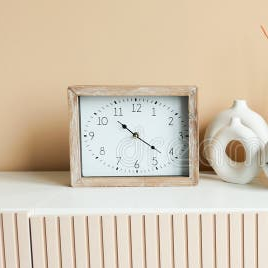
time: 10:21
